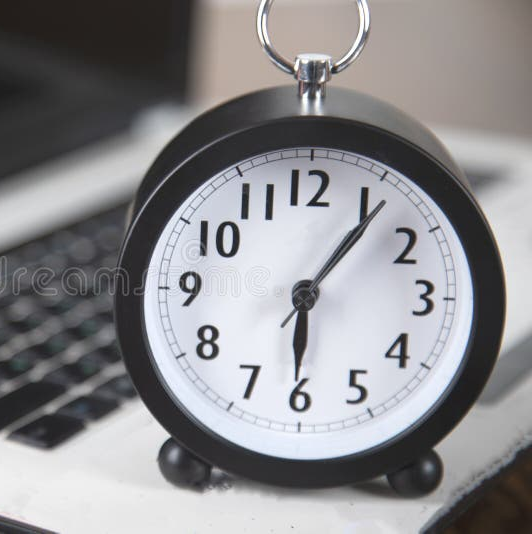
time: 6:06
